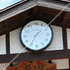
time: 1:35
